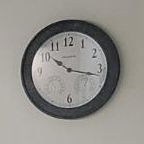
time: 10:17
